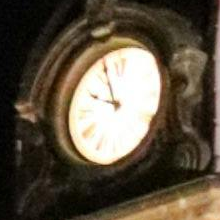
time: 9:56
